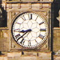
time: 8:38
